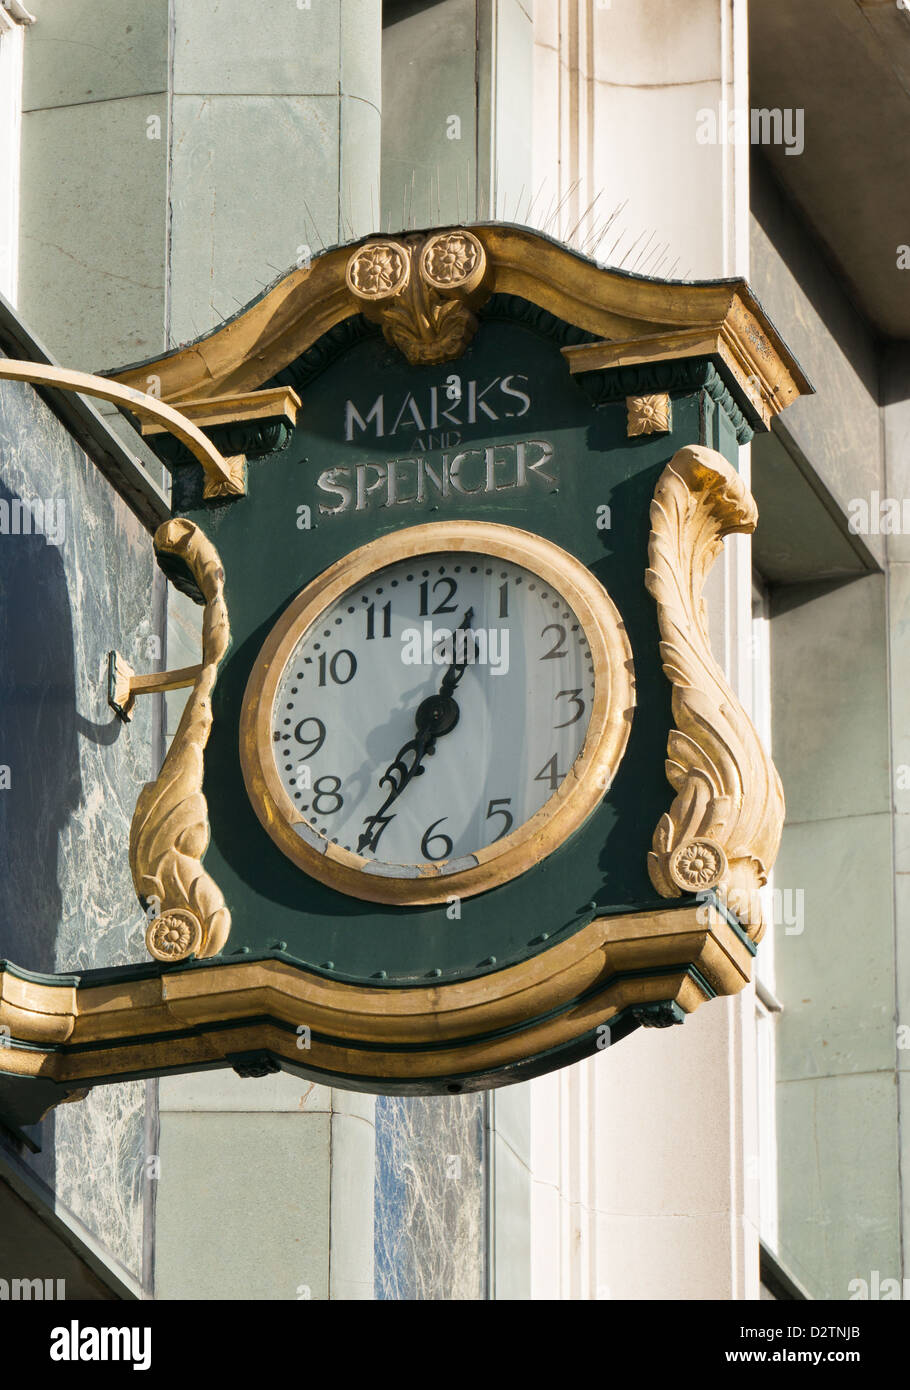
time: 12:34
